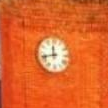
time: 11:42
